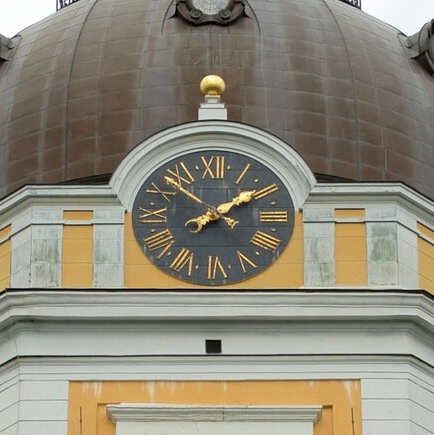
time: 1:52
